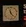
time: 11:22
